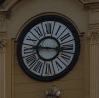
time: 9:16
